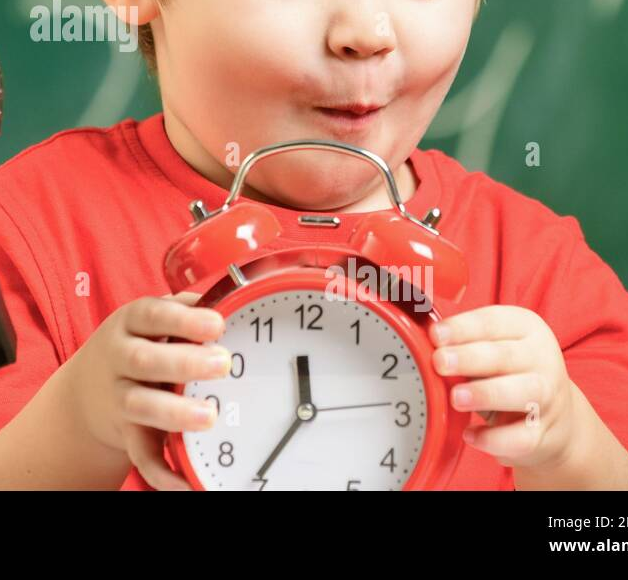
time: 11:35
